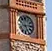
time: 5:13
